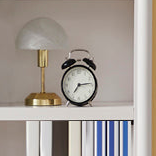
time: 7:13
